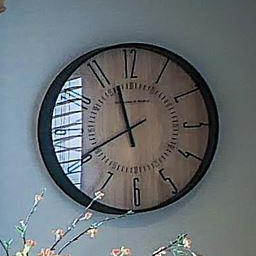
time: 11:40
